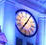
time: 7:05
